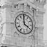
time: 3:59
